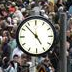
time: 4:52
